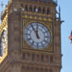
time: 11:55
